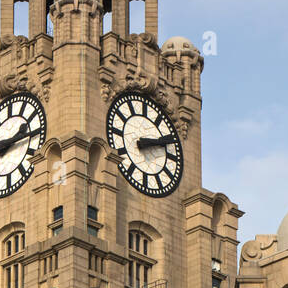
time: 2:11
